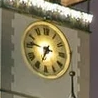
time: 6:46
